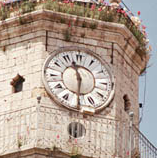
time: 11:30
